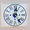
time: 12:23
